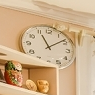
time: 11:08
